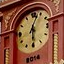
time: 6:03
